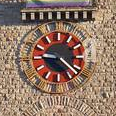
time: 9:21
